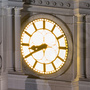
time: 8:40
